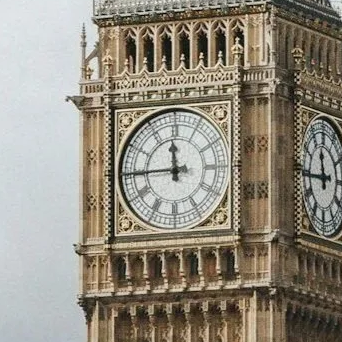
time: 11:44
